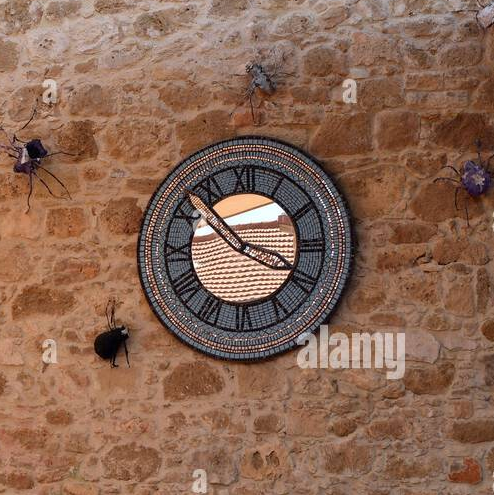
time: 3:52
